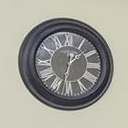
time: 1:32
